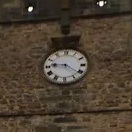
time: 9:21
